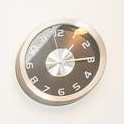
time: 1:14
